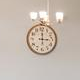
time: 3:00
